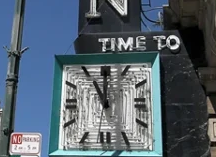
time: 11:00
